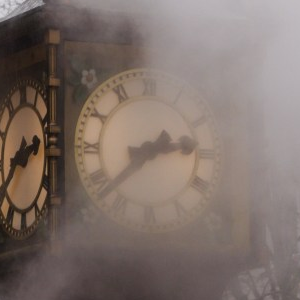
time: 2:38
